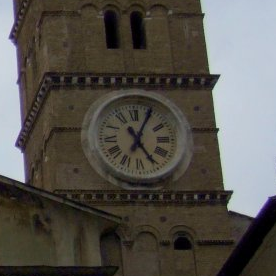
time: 5:04
